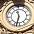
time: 11:32
